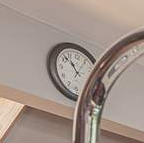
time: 10:52
